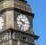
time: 9:36
